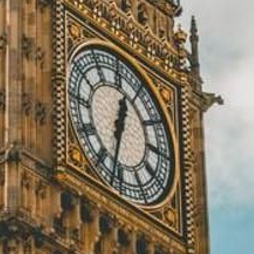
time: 12:32
